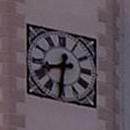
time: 8:31
